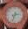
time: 2:33
